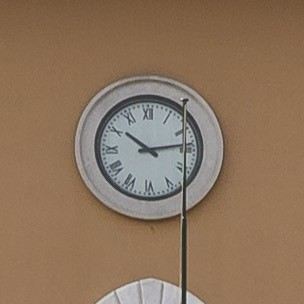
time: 10:13
